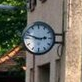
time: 2:48
